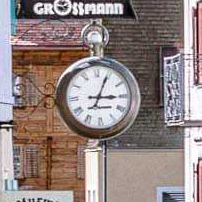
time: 3:04
